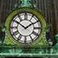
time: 1:50
